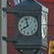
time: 7:57
